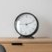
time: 9:11
